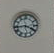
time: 3:43
